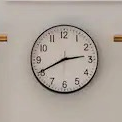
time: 2:40
